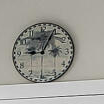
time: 9:04
